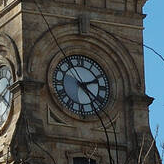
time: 2:21
